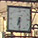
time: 6:29
